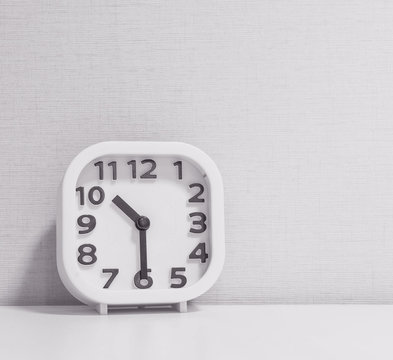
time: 10:29
